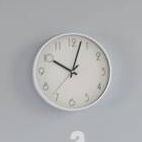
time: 10:02
